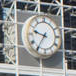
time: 9:35
